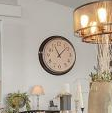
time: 11:07
